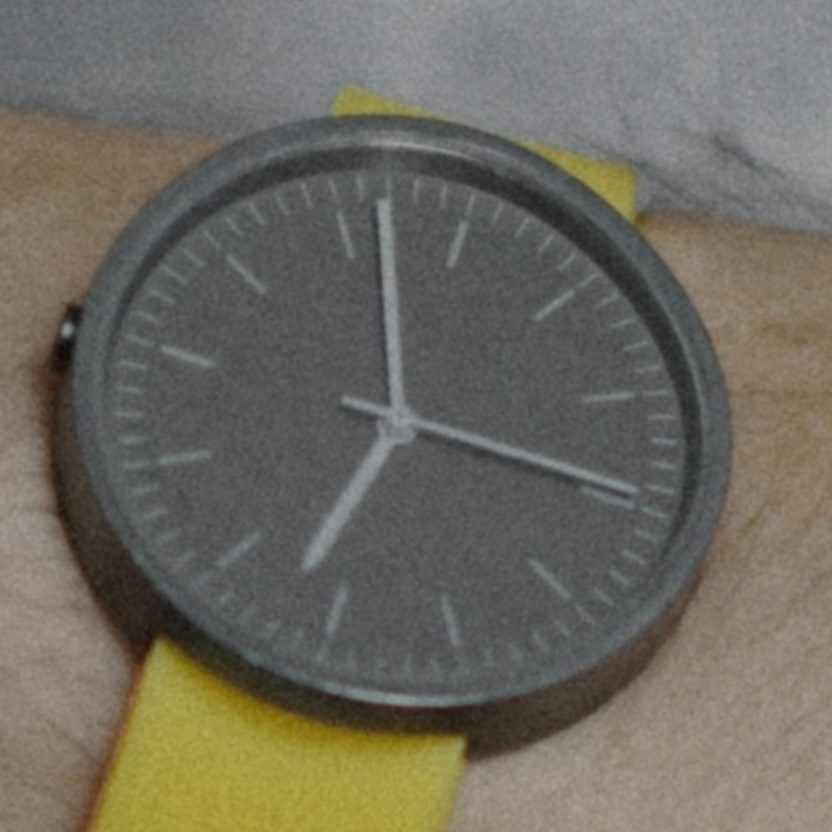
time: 4:01
